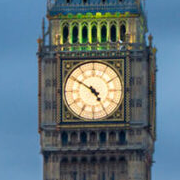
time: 4:50
